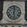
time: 12:28
